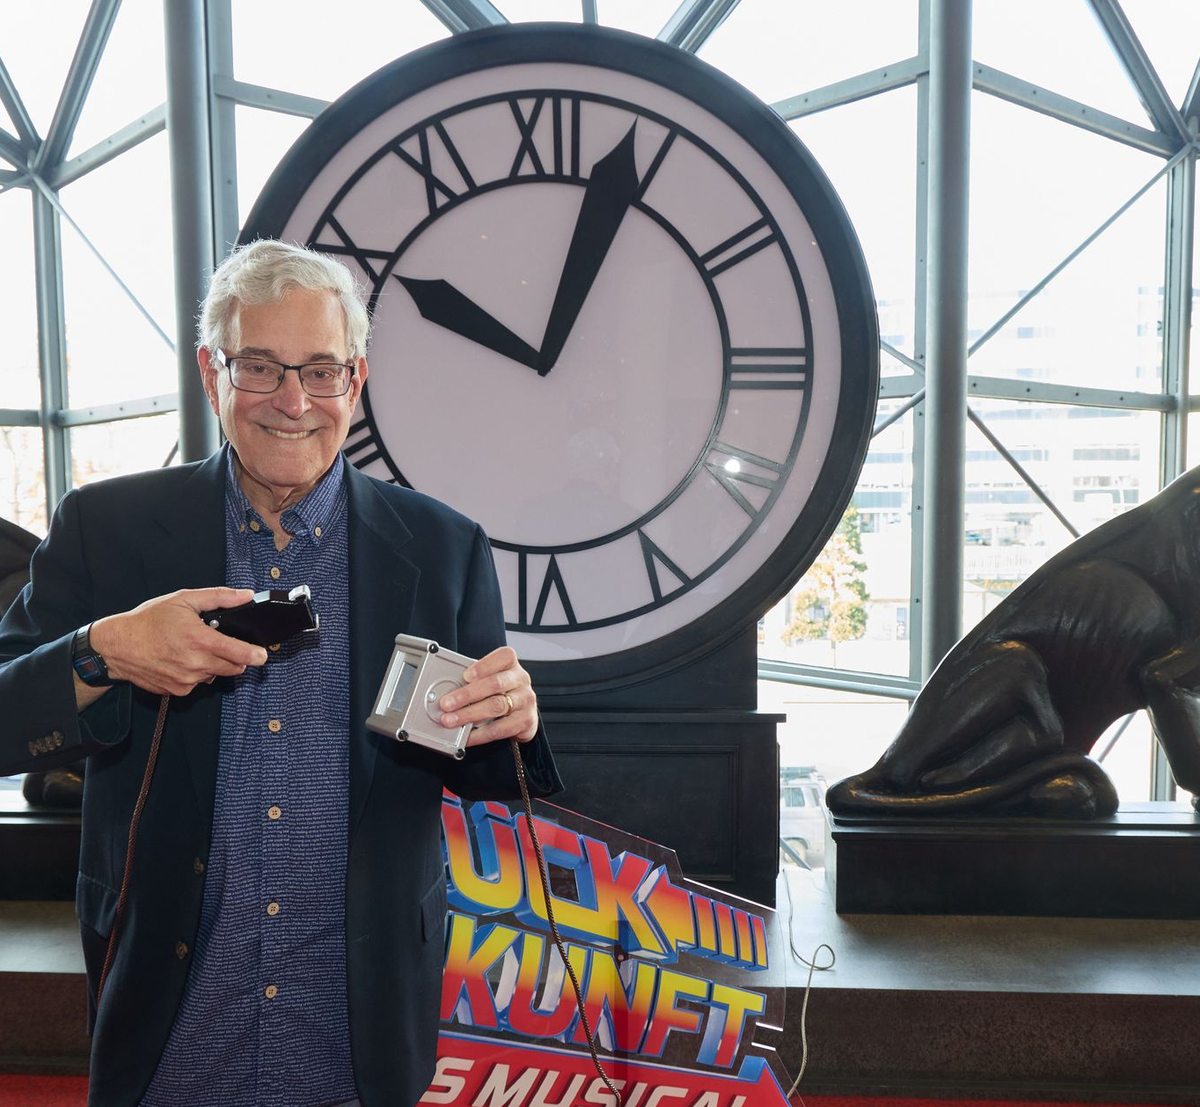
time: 10:03
